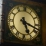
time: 5:18
